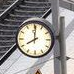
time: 8:00
